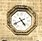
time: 4:40
